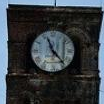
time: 11:23
